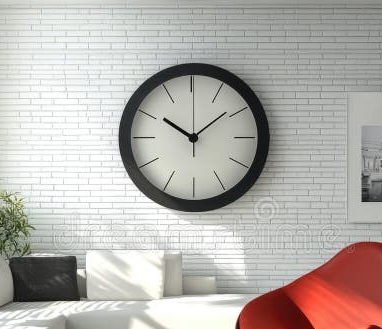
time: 10:08
